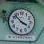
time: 3:52
